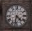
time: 4:32
